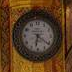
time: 6:21
